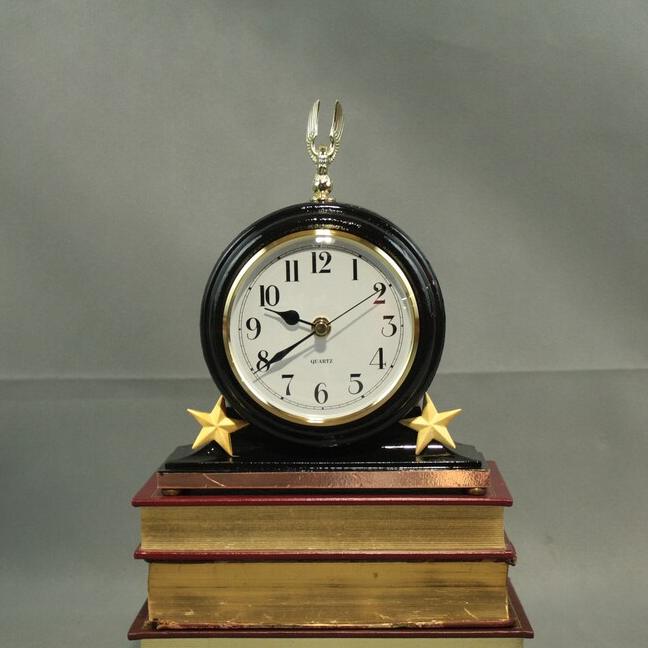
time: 9:39
